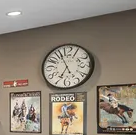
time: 6:56
